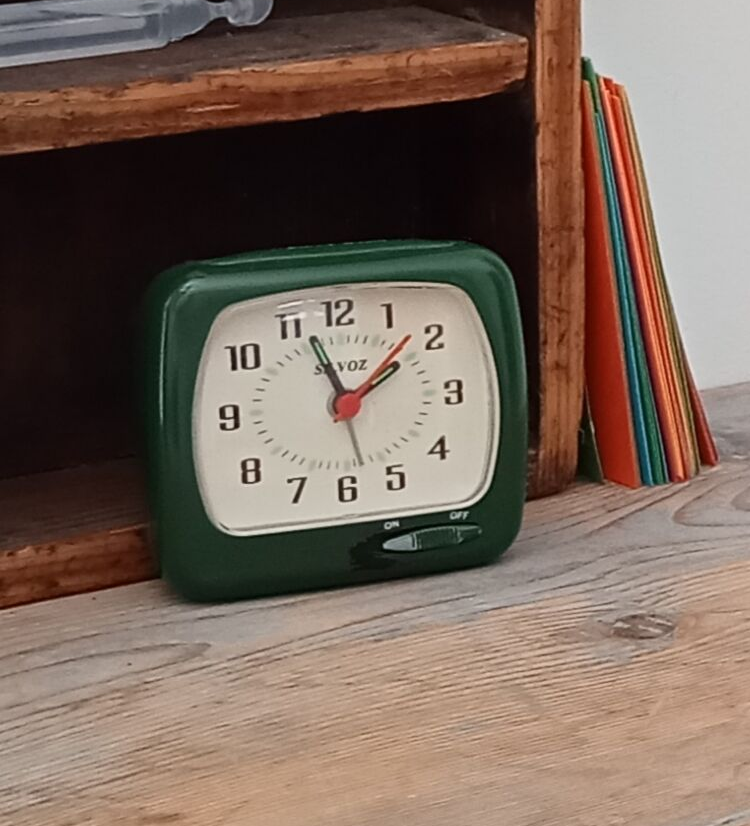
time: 1:56
